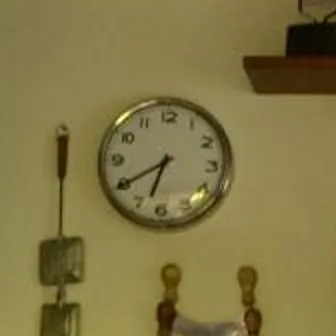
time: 6:39
